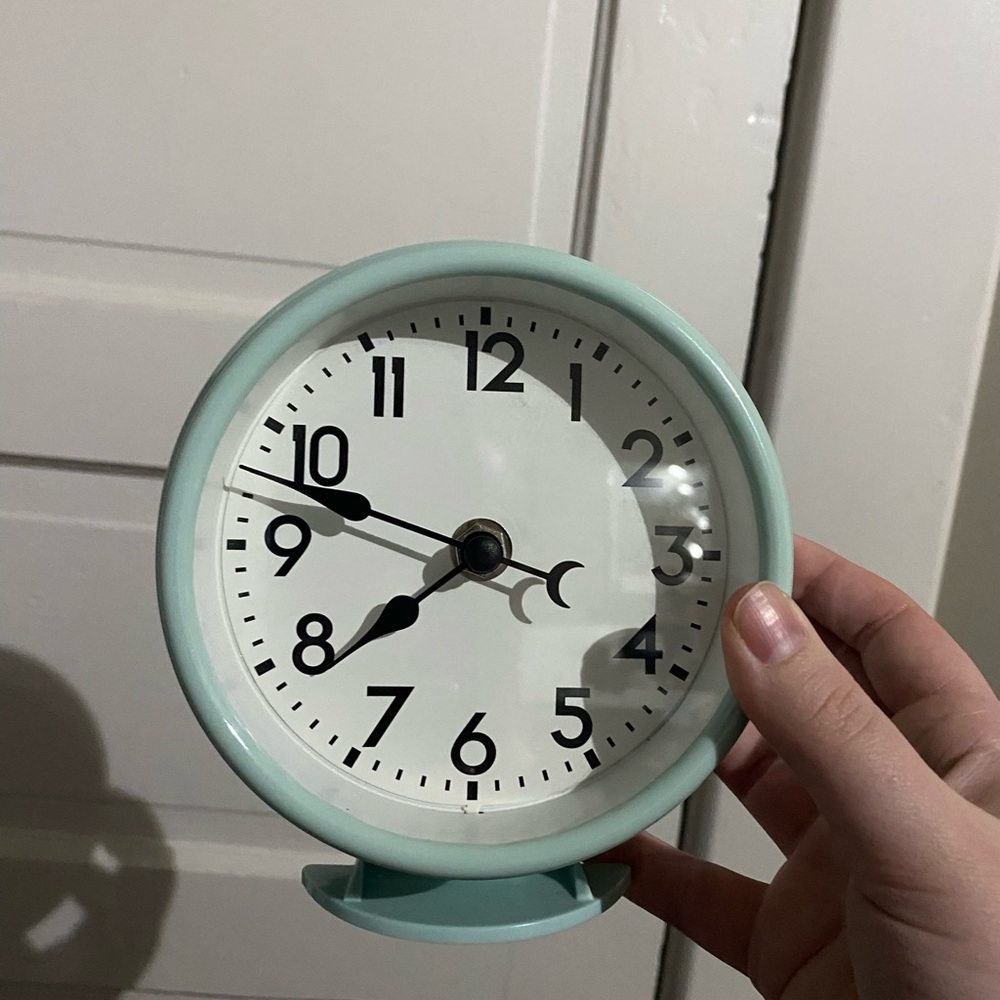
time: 7:47
